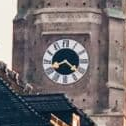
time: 8:21
